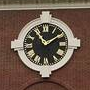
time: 1:54
